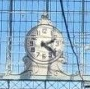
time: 2:21
